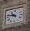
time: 10:47
